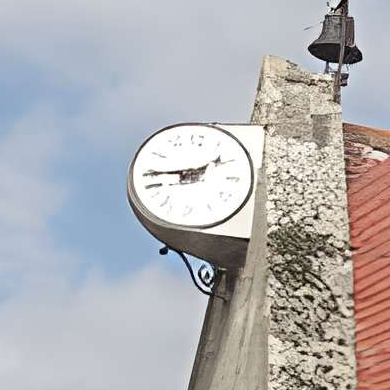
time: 1:44
